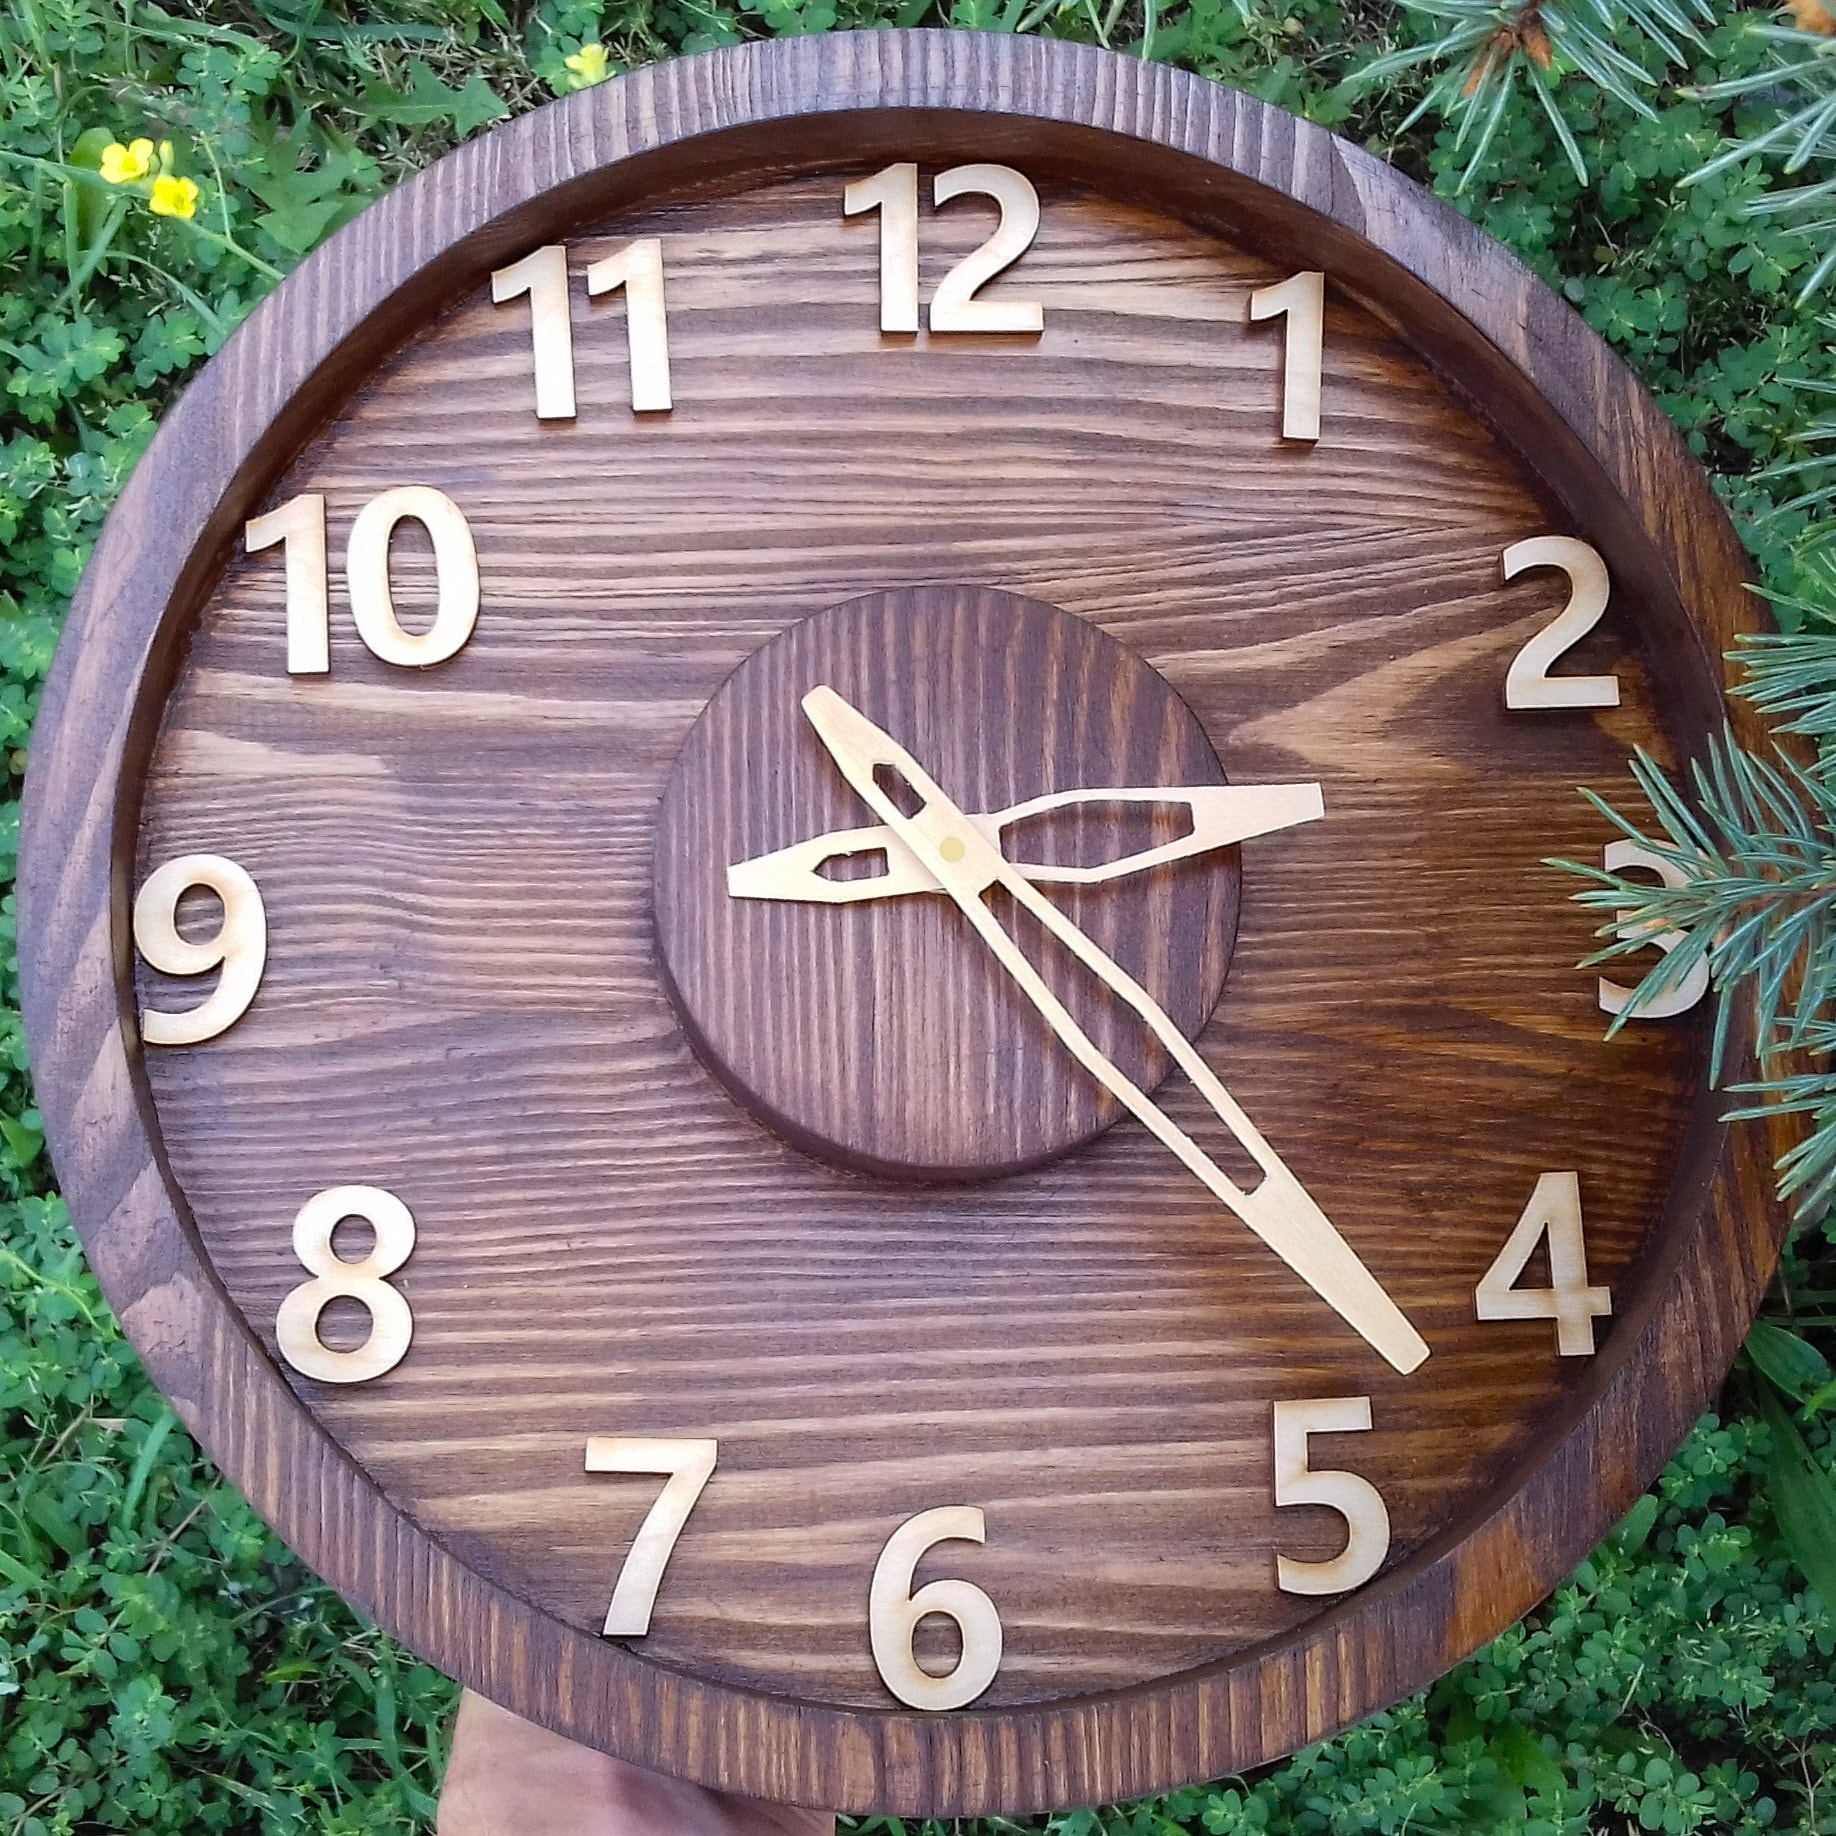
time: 2:22
